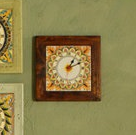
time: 1:11
